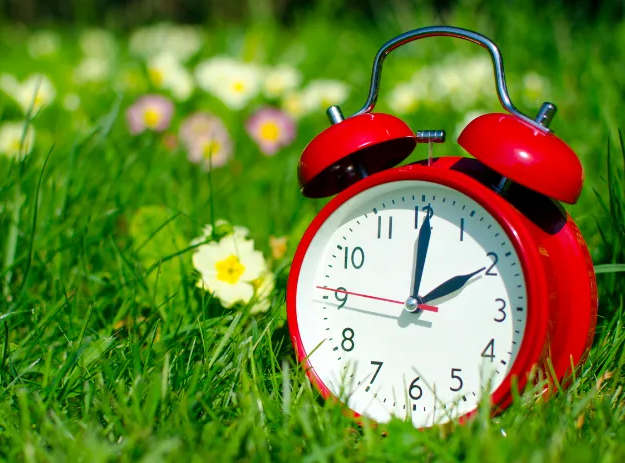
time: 2:00
